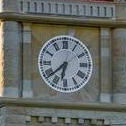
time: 6:38
